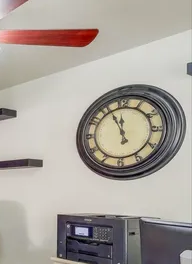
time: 11:55
